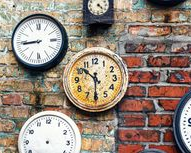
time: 10:30
